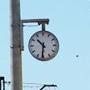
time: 10:31
